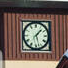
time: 1:27
